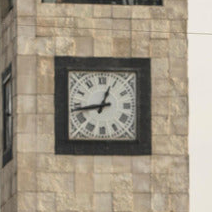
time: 12:43
